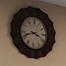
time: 3:41
